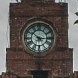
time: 10:15
